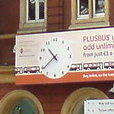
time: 10:38
